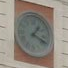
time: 1:18
